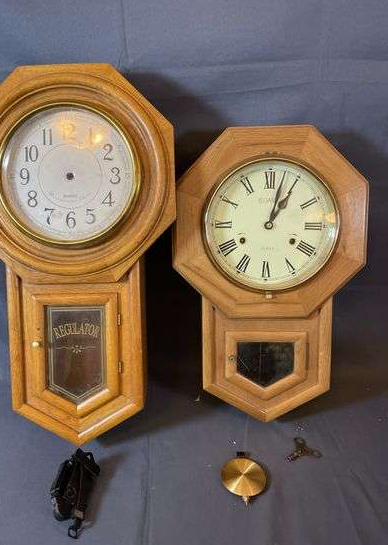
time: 1:02
